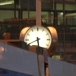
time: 5:40
